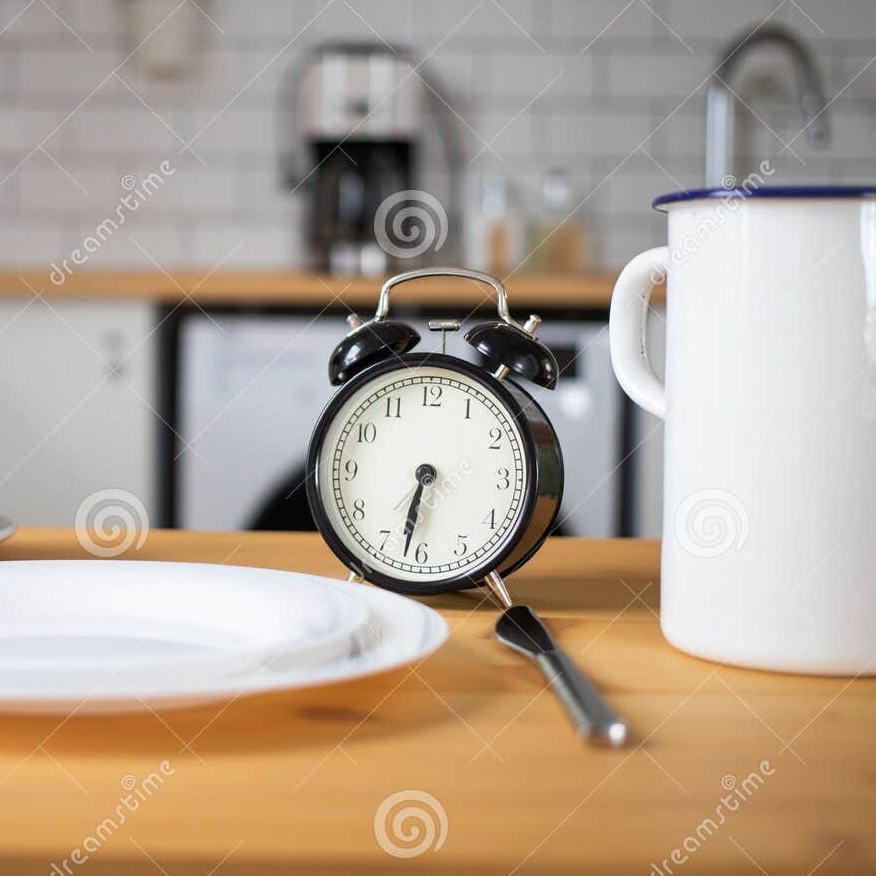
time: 6:31
